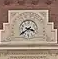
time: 3:39
